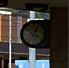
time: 4:04
